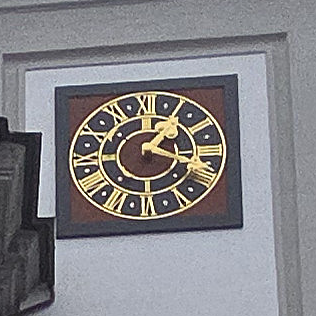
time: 1:18
